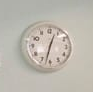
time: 12:32
